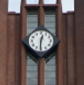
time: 12:30
